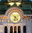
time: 6:23
